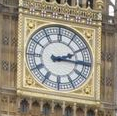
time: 2:15
